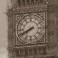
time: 7:40
